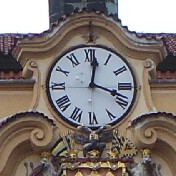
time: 12:18
